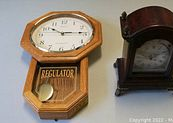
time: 10:14
